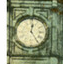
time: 12:24
